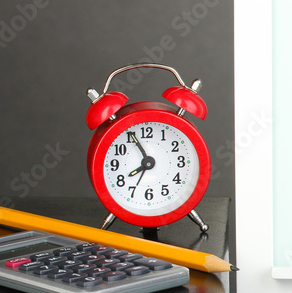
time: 7:55
